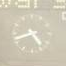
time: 4:42
